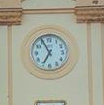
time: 6:55
